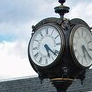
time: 5:21
